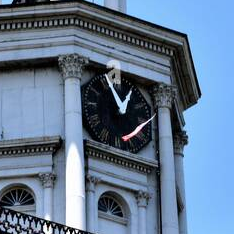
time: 12:55
